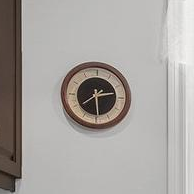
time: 2:29
